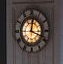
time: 12:18
